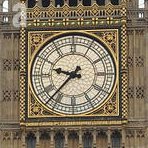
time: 9:37
